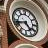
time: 4:42
